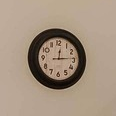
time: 12:14
